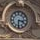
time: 3:31
